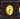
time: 7:32
